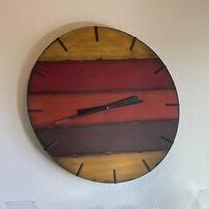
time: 2:43
